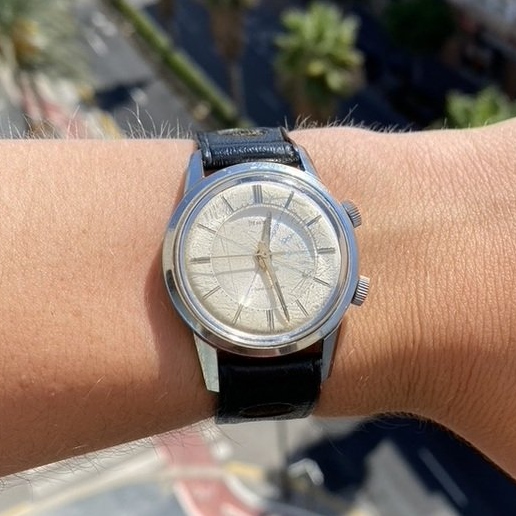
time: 12:27
